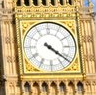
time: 4:21
